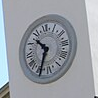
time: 10:34
